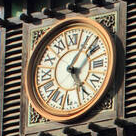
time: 1:24
